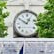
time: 12:49
